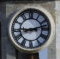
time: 9:12
